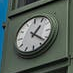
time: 1:21
